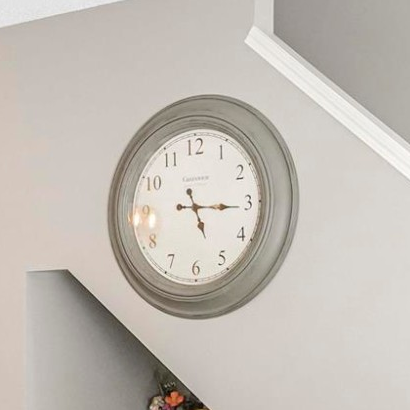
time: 5:15
